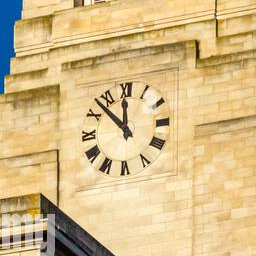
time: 11:52
